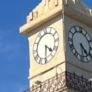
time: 4:30
